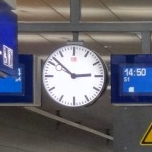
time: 2:52
